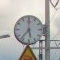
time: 5:36
